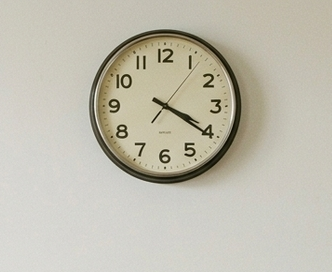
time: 4:20
